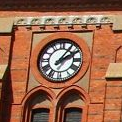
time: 2:06
